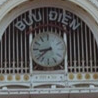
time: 8:38
